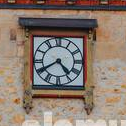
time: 4:40
